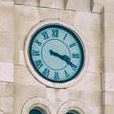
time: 3:19
